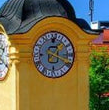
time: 1:18
